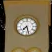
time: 7:27
